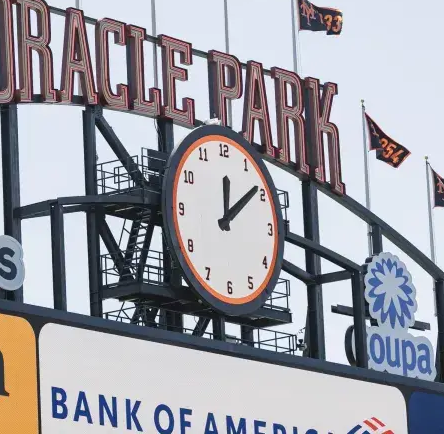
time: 12:08
